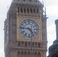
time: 4:46
